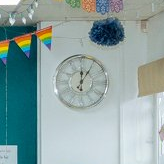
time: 12:05
